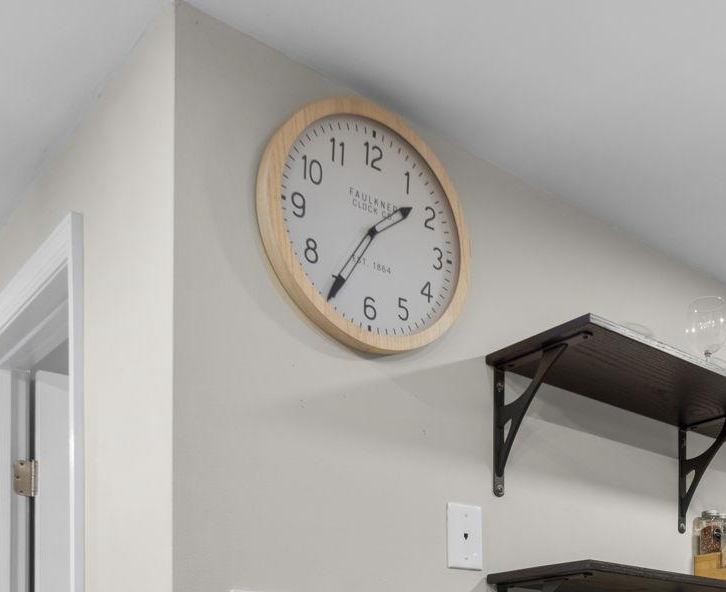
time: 1:34
